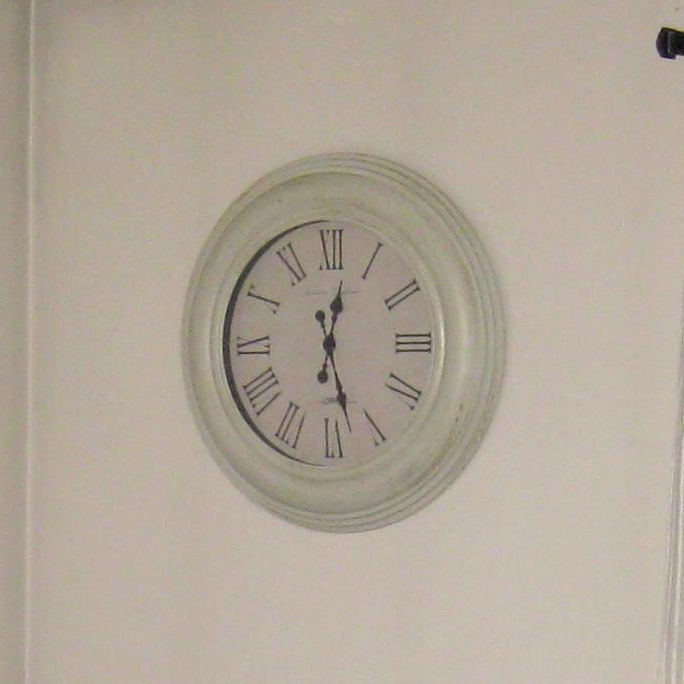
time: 12:27
